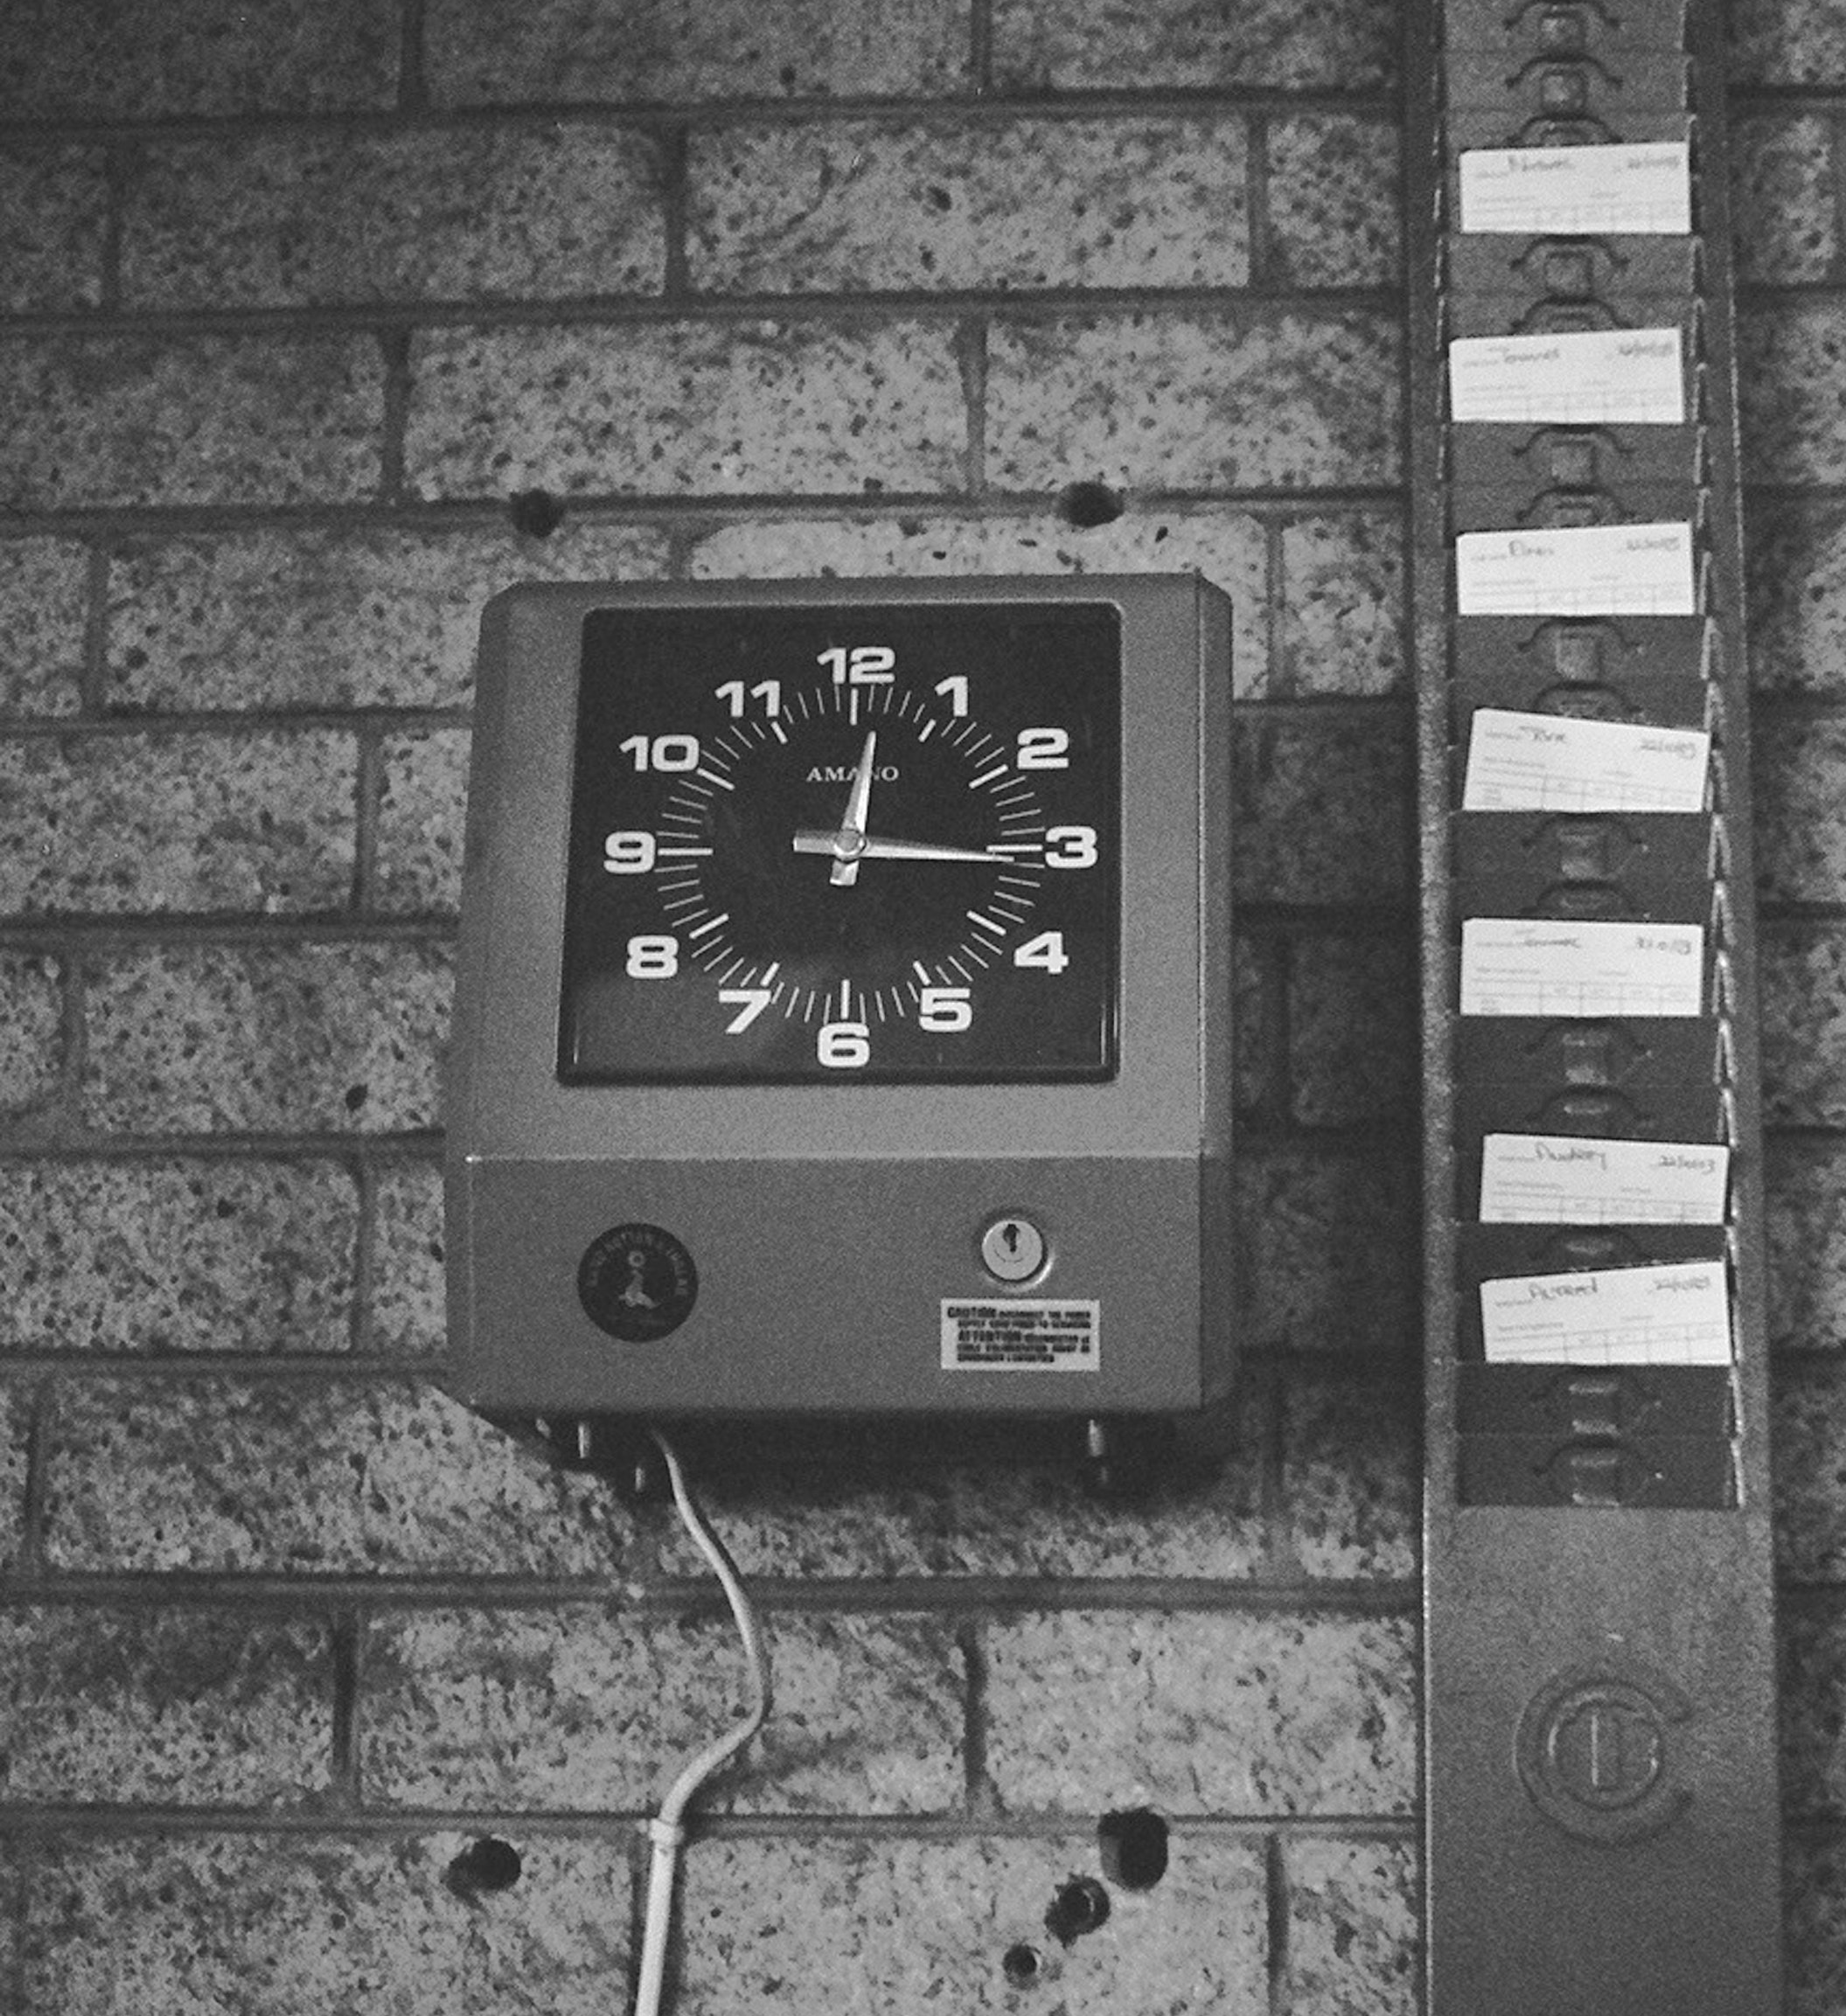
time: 12:15
